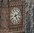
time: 5:11
